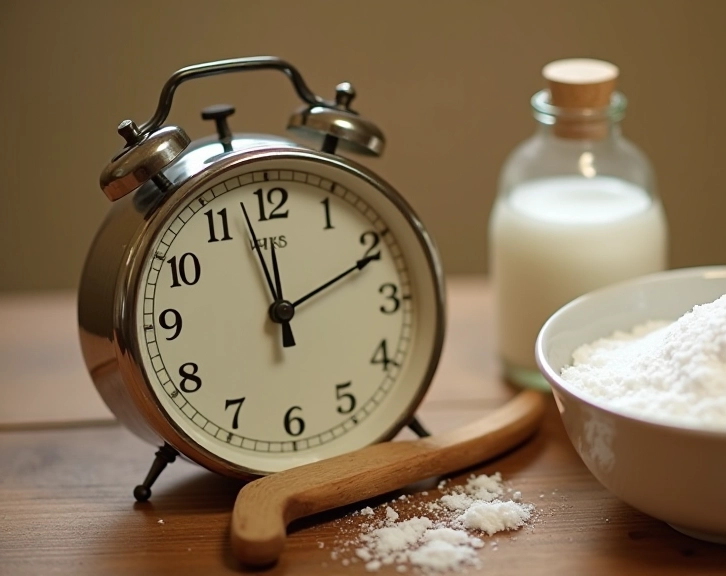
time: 11:57
